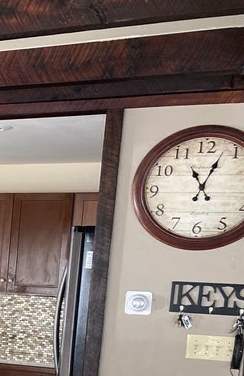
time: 11:03
